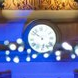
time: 5:51
